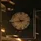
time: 10:43
